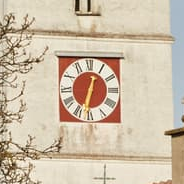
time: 12:32
